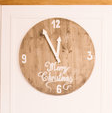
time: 12:55
